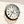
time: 3:35
